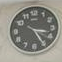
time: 3:24
